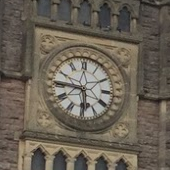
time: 5:45
